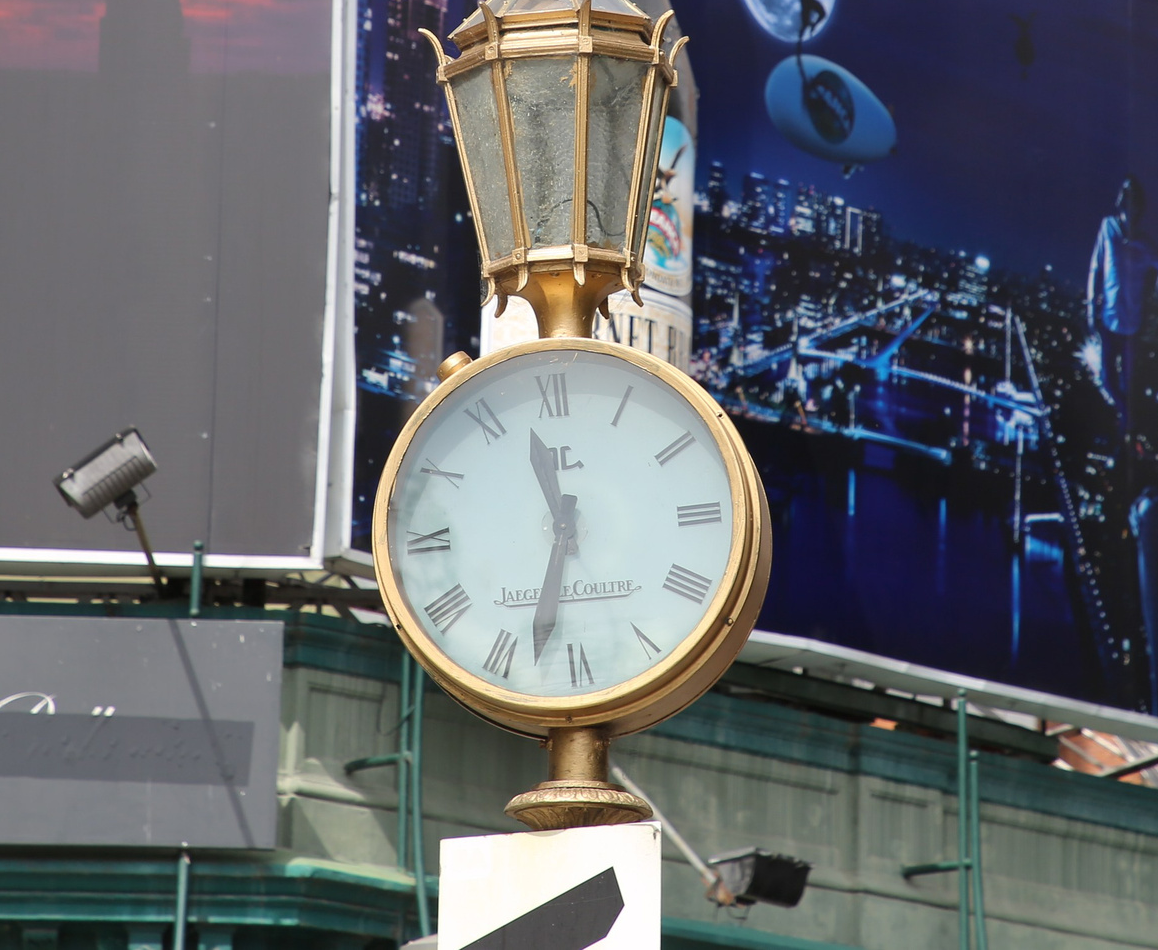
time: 11:32
